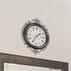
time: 1:35
